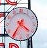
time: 4:35
